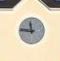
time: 11:46
